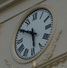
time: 5:50
